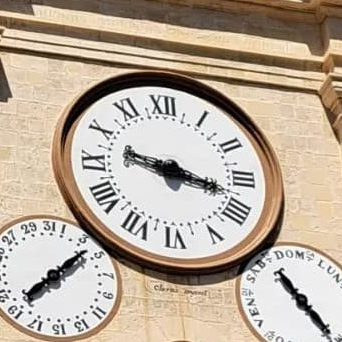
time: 9:17
